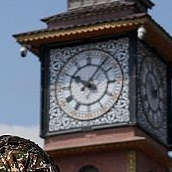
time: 10:06
